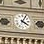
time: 4:04
